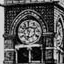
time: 10:32
